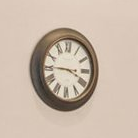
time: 3:45
